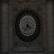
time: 4:35
